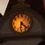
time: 6:22
